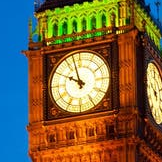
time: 9:57
